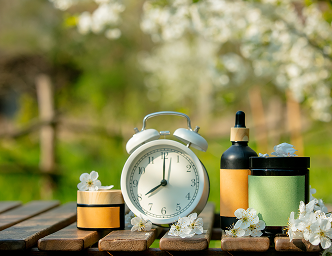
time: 8:00
